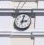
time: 3:02
